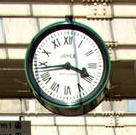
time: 3:43
